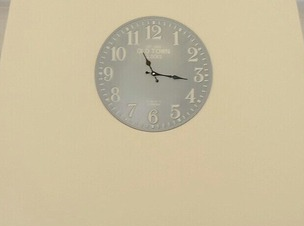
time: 11:16
